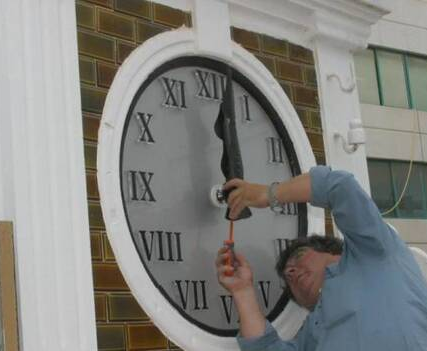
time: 12:01
